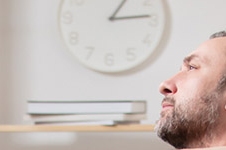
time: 1:13
